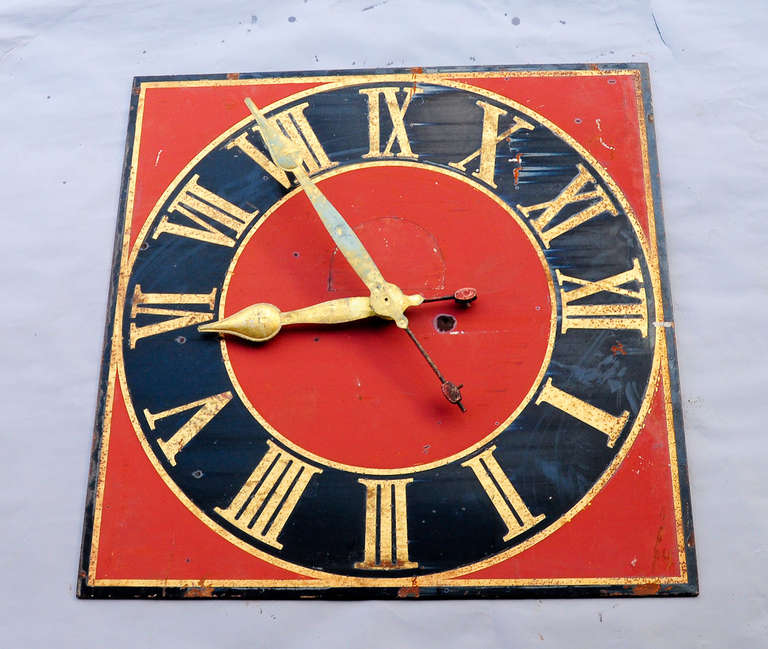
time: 8:54
